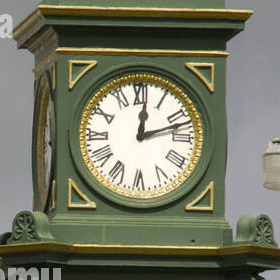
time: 12:12
